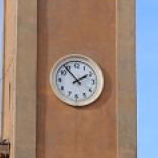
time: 1:53
